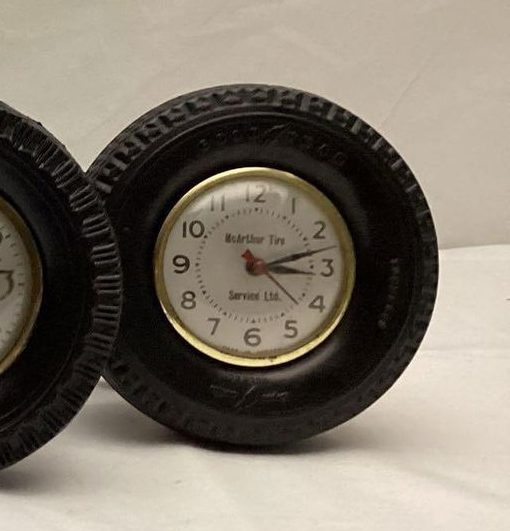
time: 3:12
